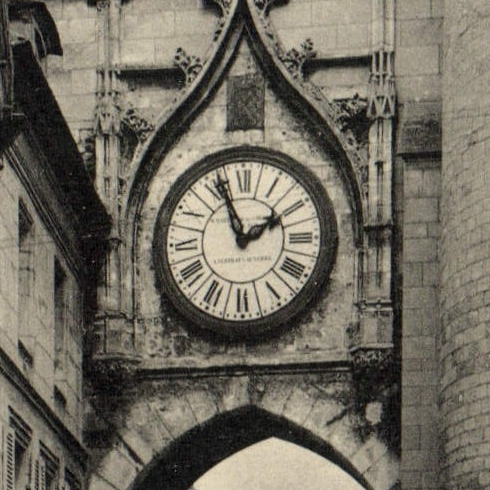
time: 1:56
